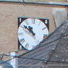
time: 10:51
